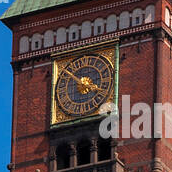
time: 3:51
